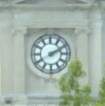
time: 2:10
